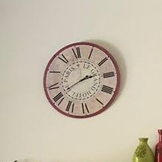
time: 2:41
